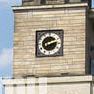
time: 2:12
